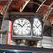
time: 10:07
